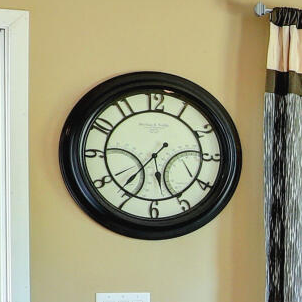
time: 5:36
